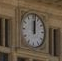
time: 12:01
